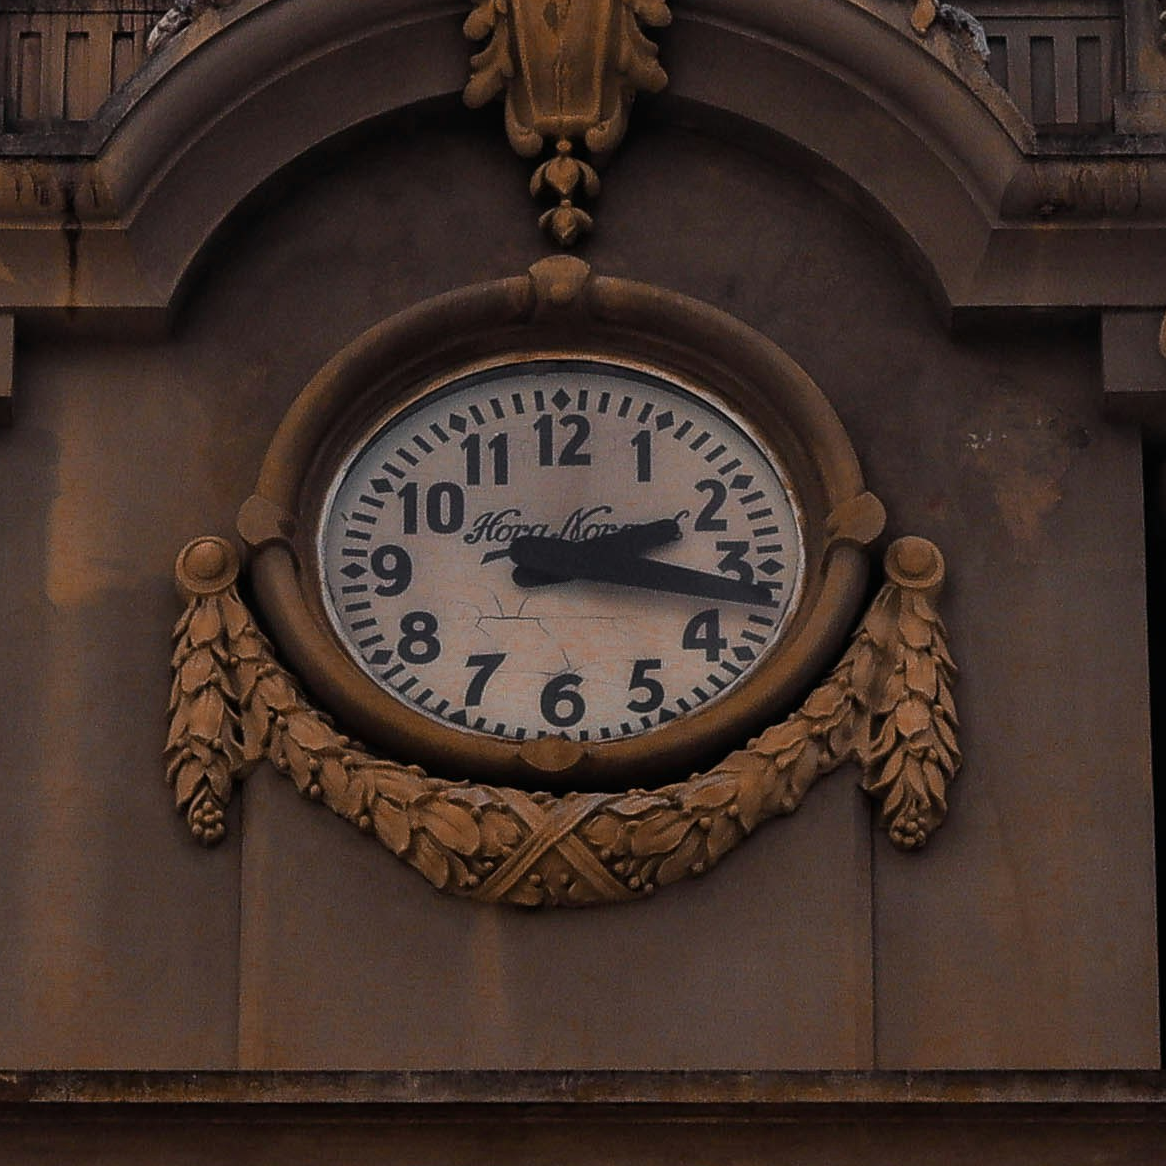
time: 2:16
